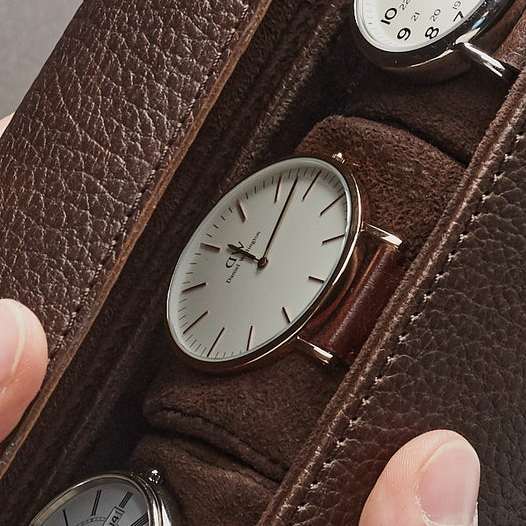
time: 10:02
